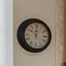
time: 11:51
